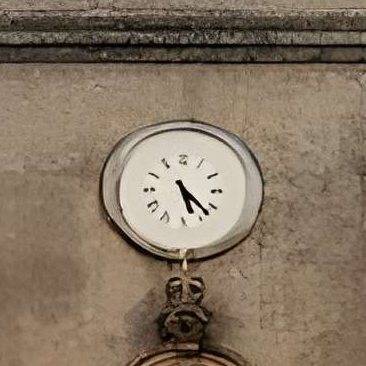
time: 5:22
